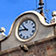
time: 10:46
